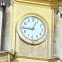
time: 12:44
